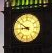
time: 8:51
